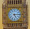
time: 5:14
